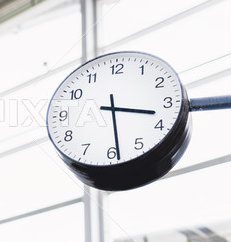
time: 3:28
